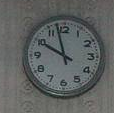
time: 9:57
